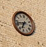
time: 6:42
